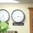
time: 8:16
